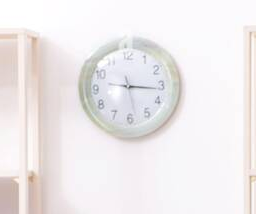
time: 9:16
